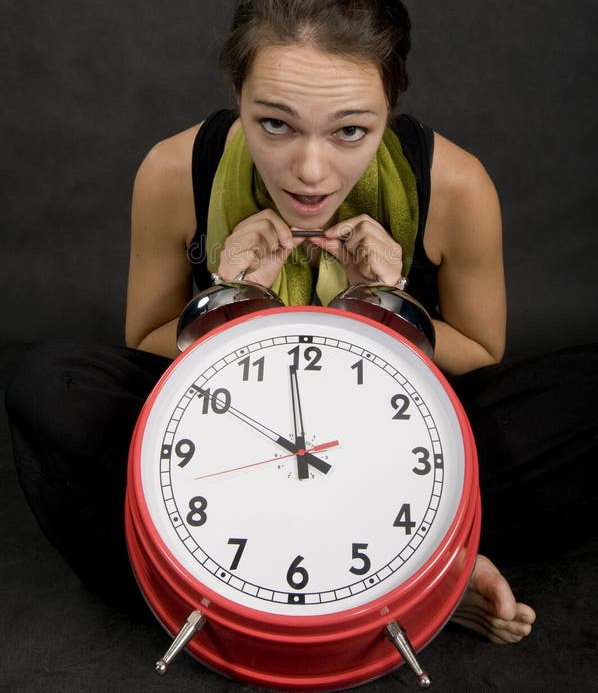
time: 3:58
